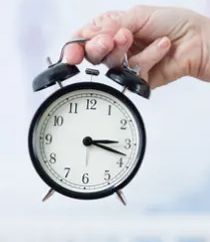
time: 3:18
